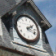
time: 2:19
